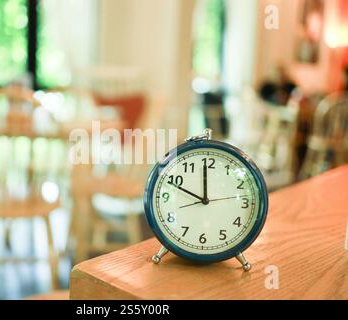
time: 11:48
